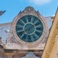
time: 8:09
